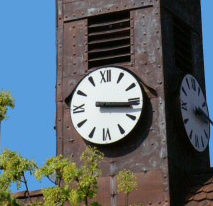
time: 3:15
